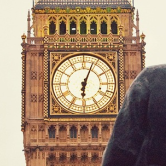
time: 6:03
